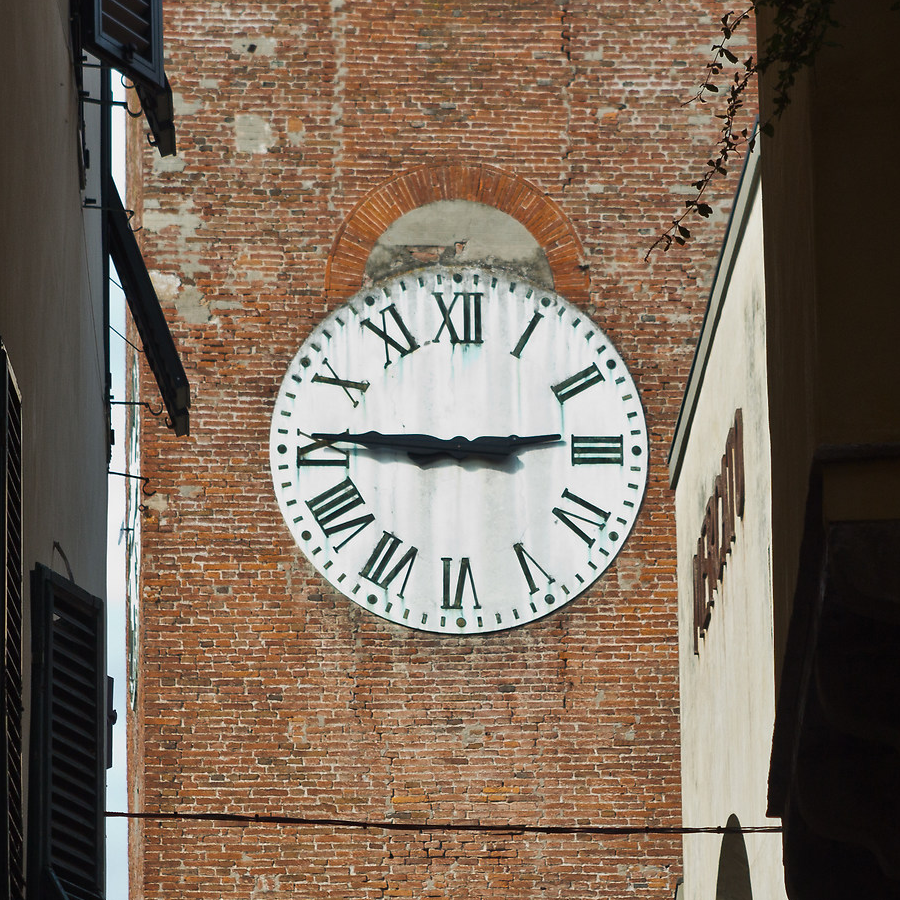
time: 2:45
